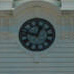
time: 12:47
